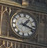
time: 1:18
